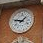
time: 1:46
